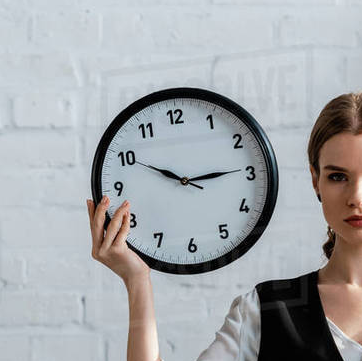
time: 2:49
